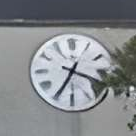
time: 3:34
